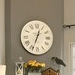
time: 12:33
